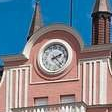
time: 2:22
